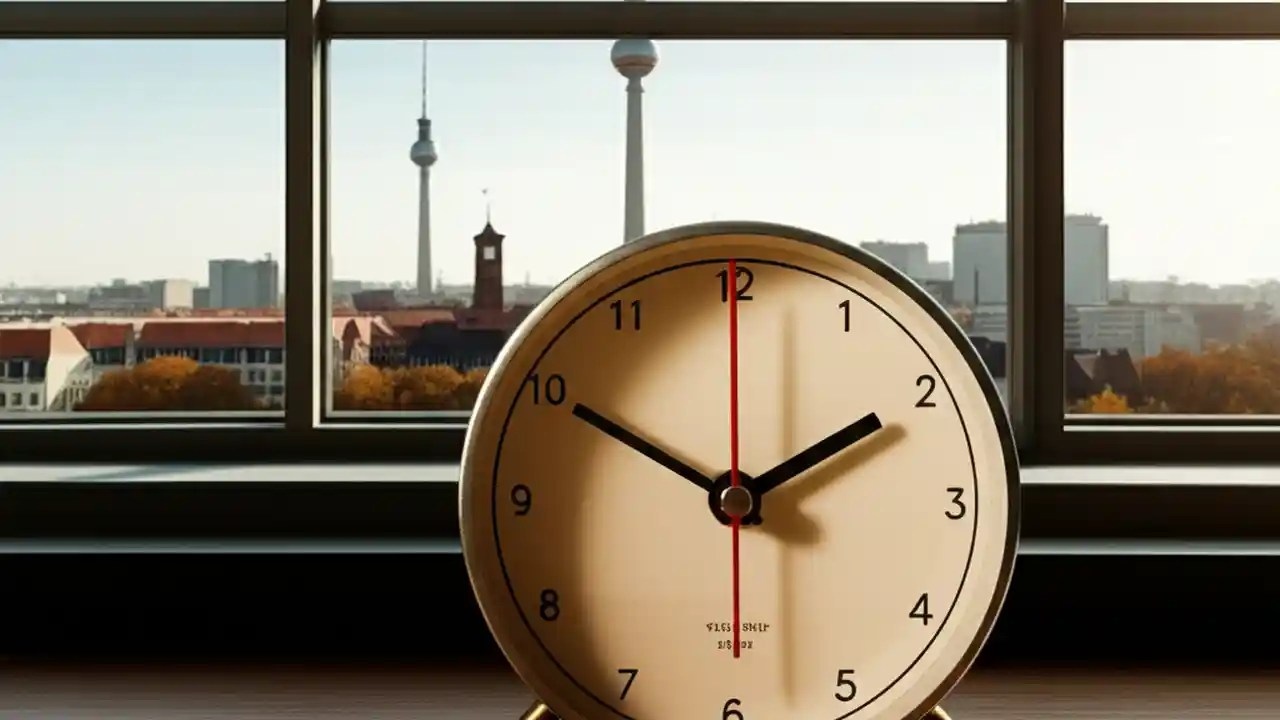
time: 1:50
